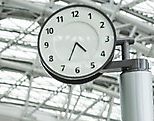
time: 4:34
